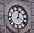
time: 12:19
